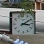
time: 3:09
